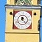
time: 6:23
